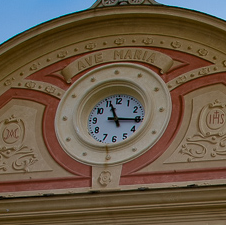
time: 11:16
